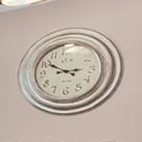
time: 2:50
